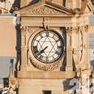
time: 7:37
